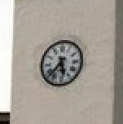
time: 5:37
